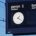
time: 1:20
